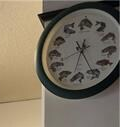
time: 12:25
